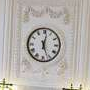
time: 12:26
